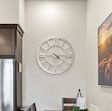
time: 4:14
